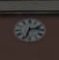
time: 2:33
